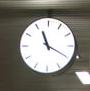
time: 11:19
